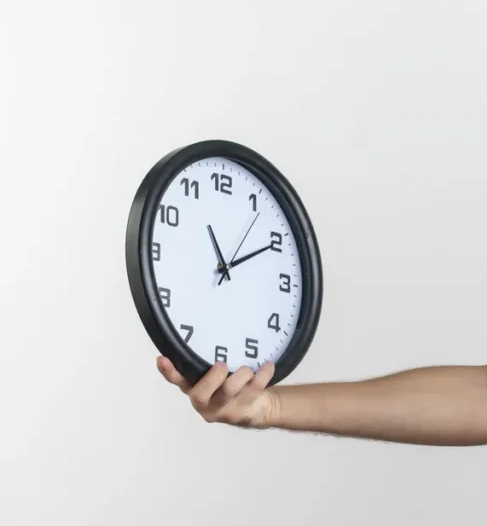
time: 11:10
